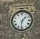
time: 1:31
